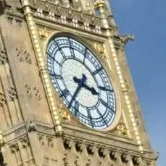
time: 3:37
